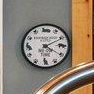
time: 4:10
